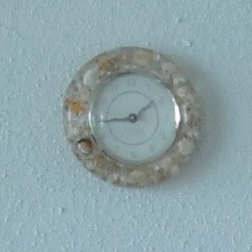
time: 1:43
